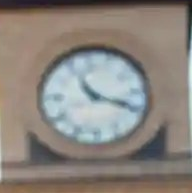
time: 11:18
